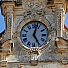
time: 5:02
